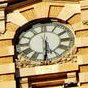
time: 5:31
